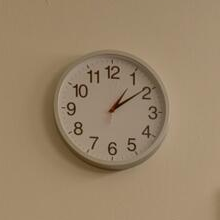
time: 1:09
